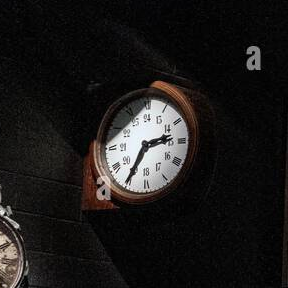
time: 2:35
